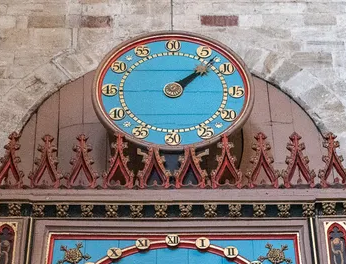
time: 1:07
